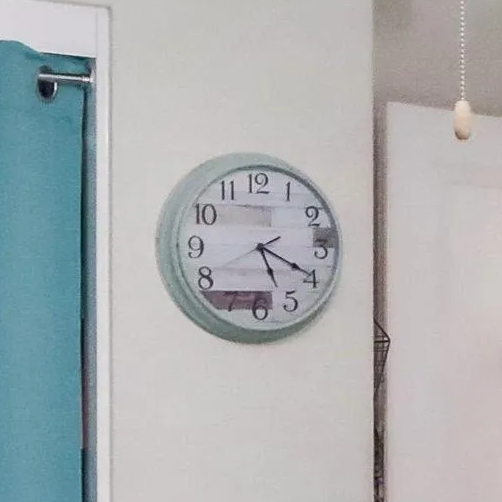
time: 5:19
